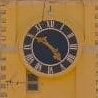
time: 4:50
